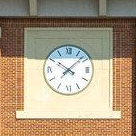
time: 10:07
